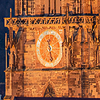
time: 11:28
